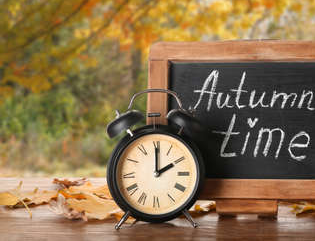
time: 2:00
